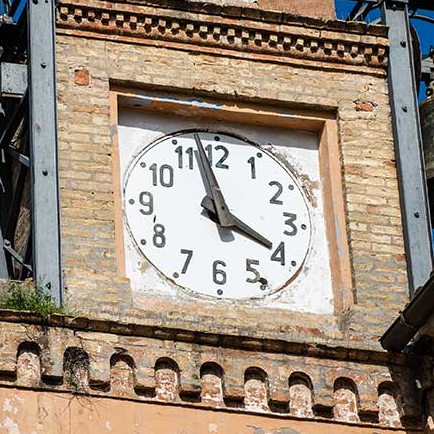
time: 3:57
